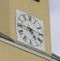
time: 4:45
